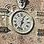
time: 12:32
